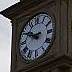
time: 9:50
